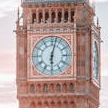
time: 6:02
